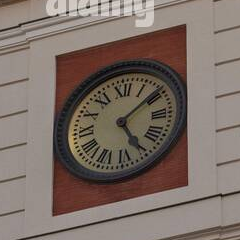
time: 5:08
